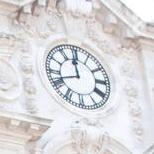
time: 11:41
